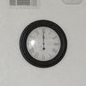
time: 11:59
